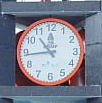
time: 10:43
